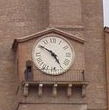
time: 4:50
